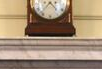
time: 4:36
